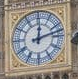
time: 12:12
